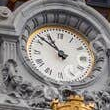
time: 10:51
